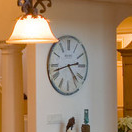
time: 4:42
